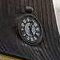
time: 12:26
